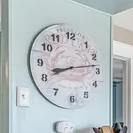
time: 8:13
